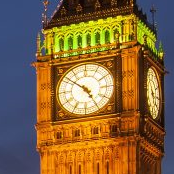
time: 4:51
